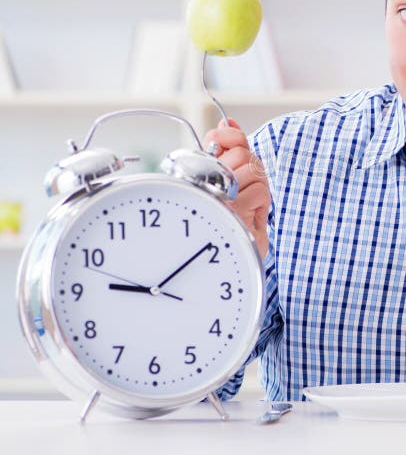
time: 9:09
